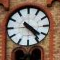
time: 4:23
